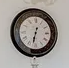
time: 6:32
